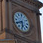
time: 5:40
